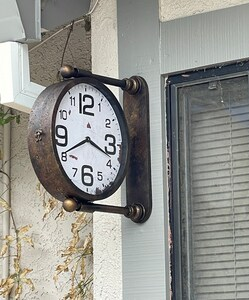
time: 3:40
